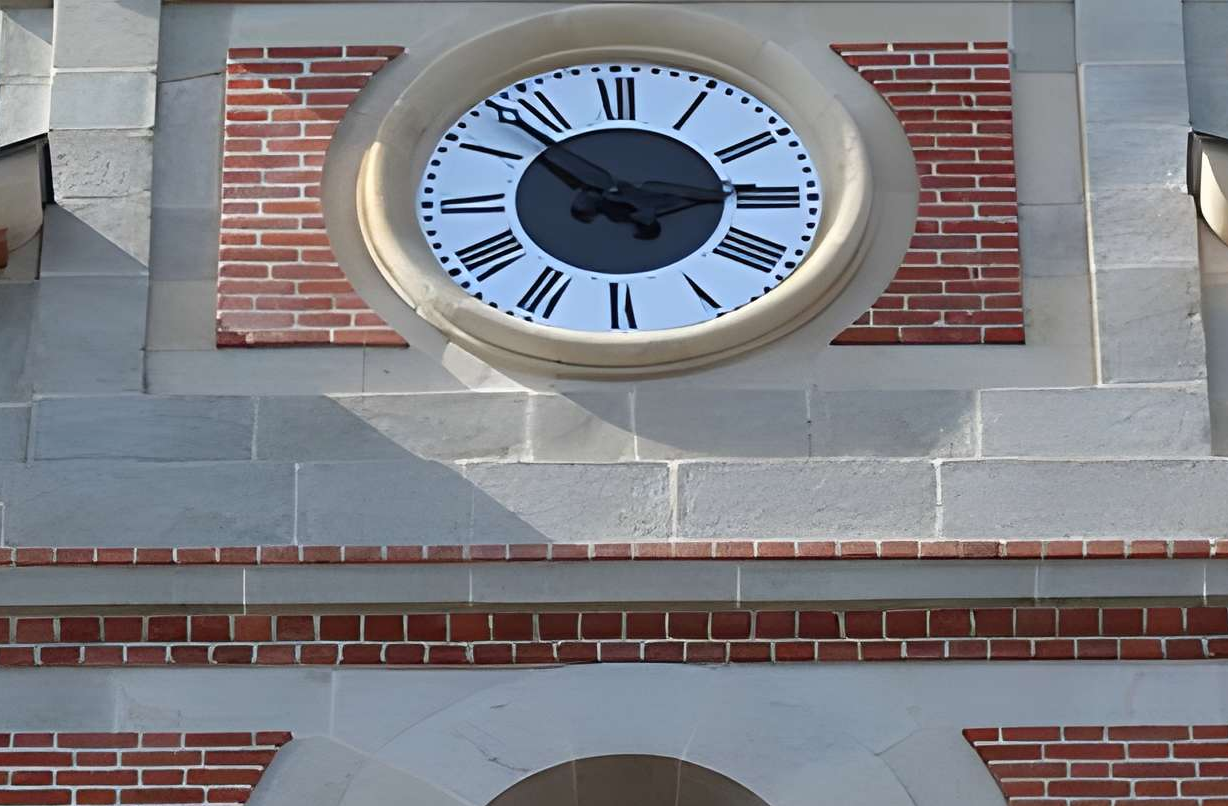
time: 2:52
